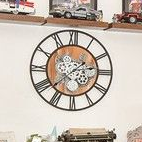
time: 2:38
